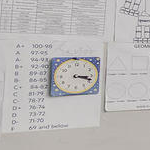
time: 3:18
